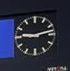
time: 9:12
